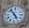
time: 4:52
